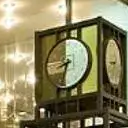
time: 8:32
